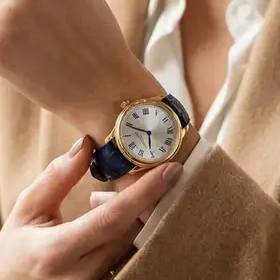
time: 5:49
